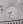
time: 8:33
